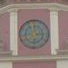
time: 6:14
